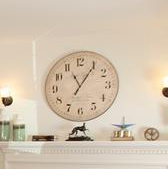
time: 11:05
